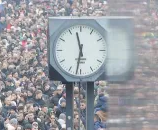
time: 11:31
